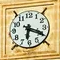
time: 6:19
